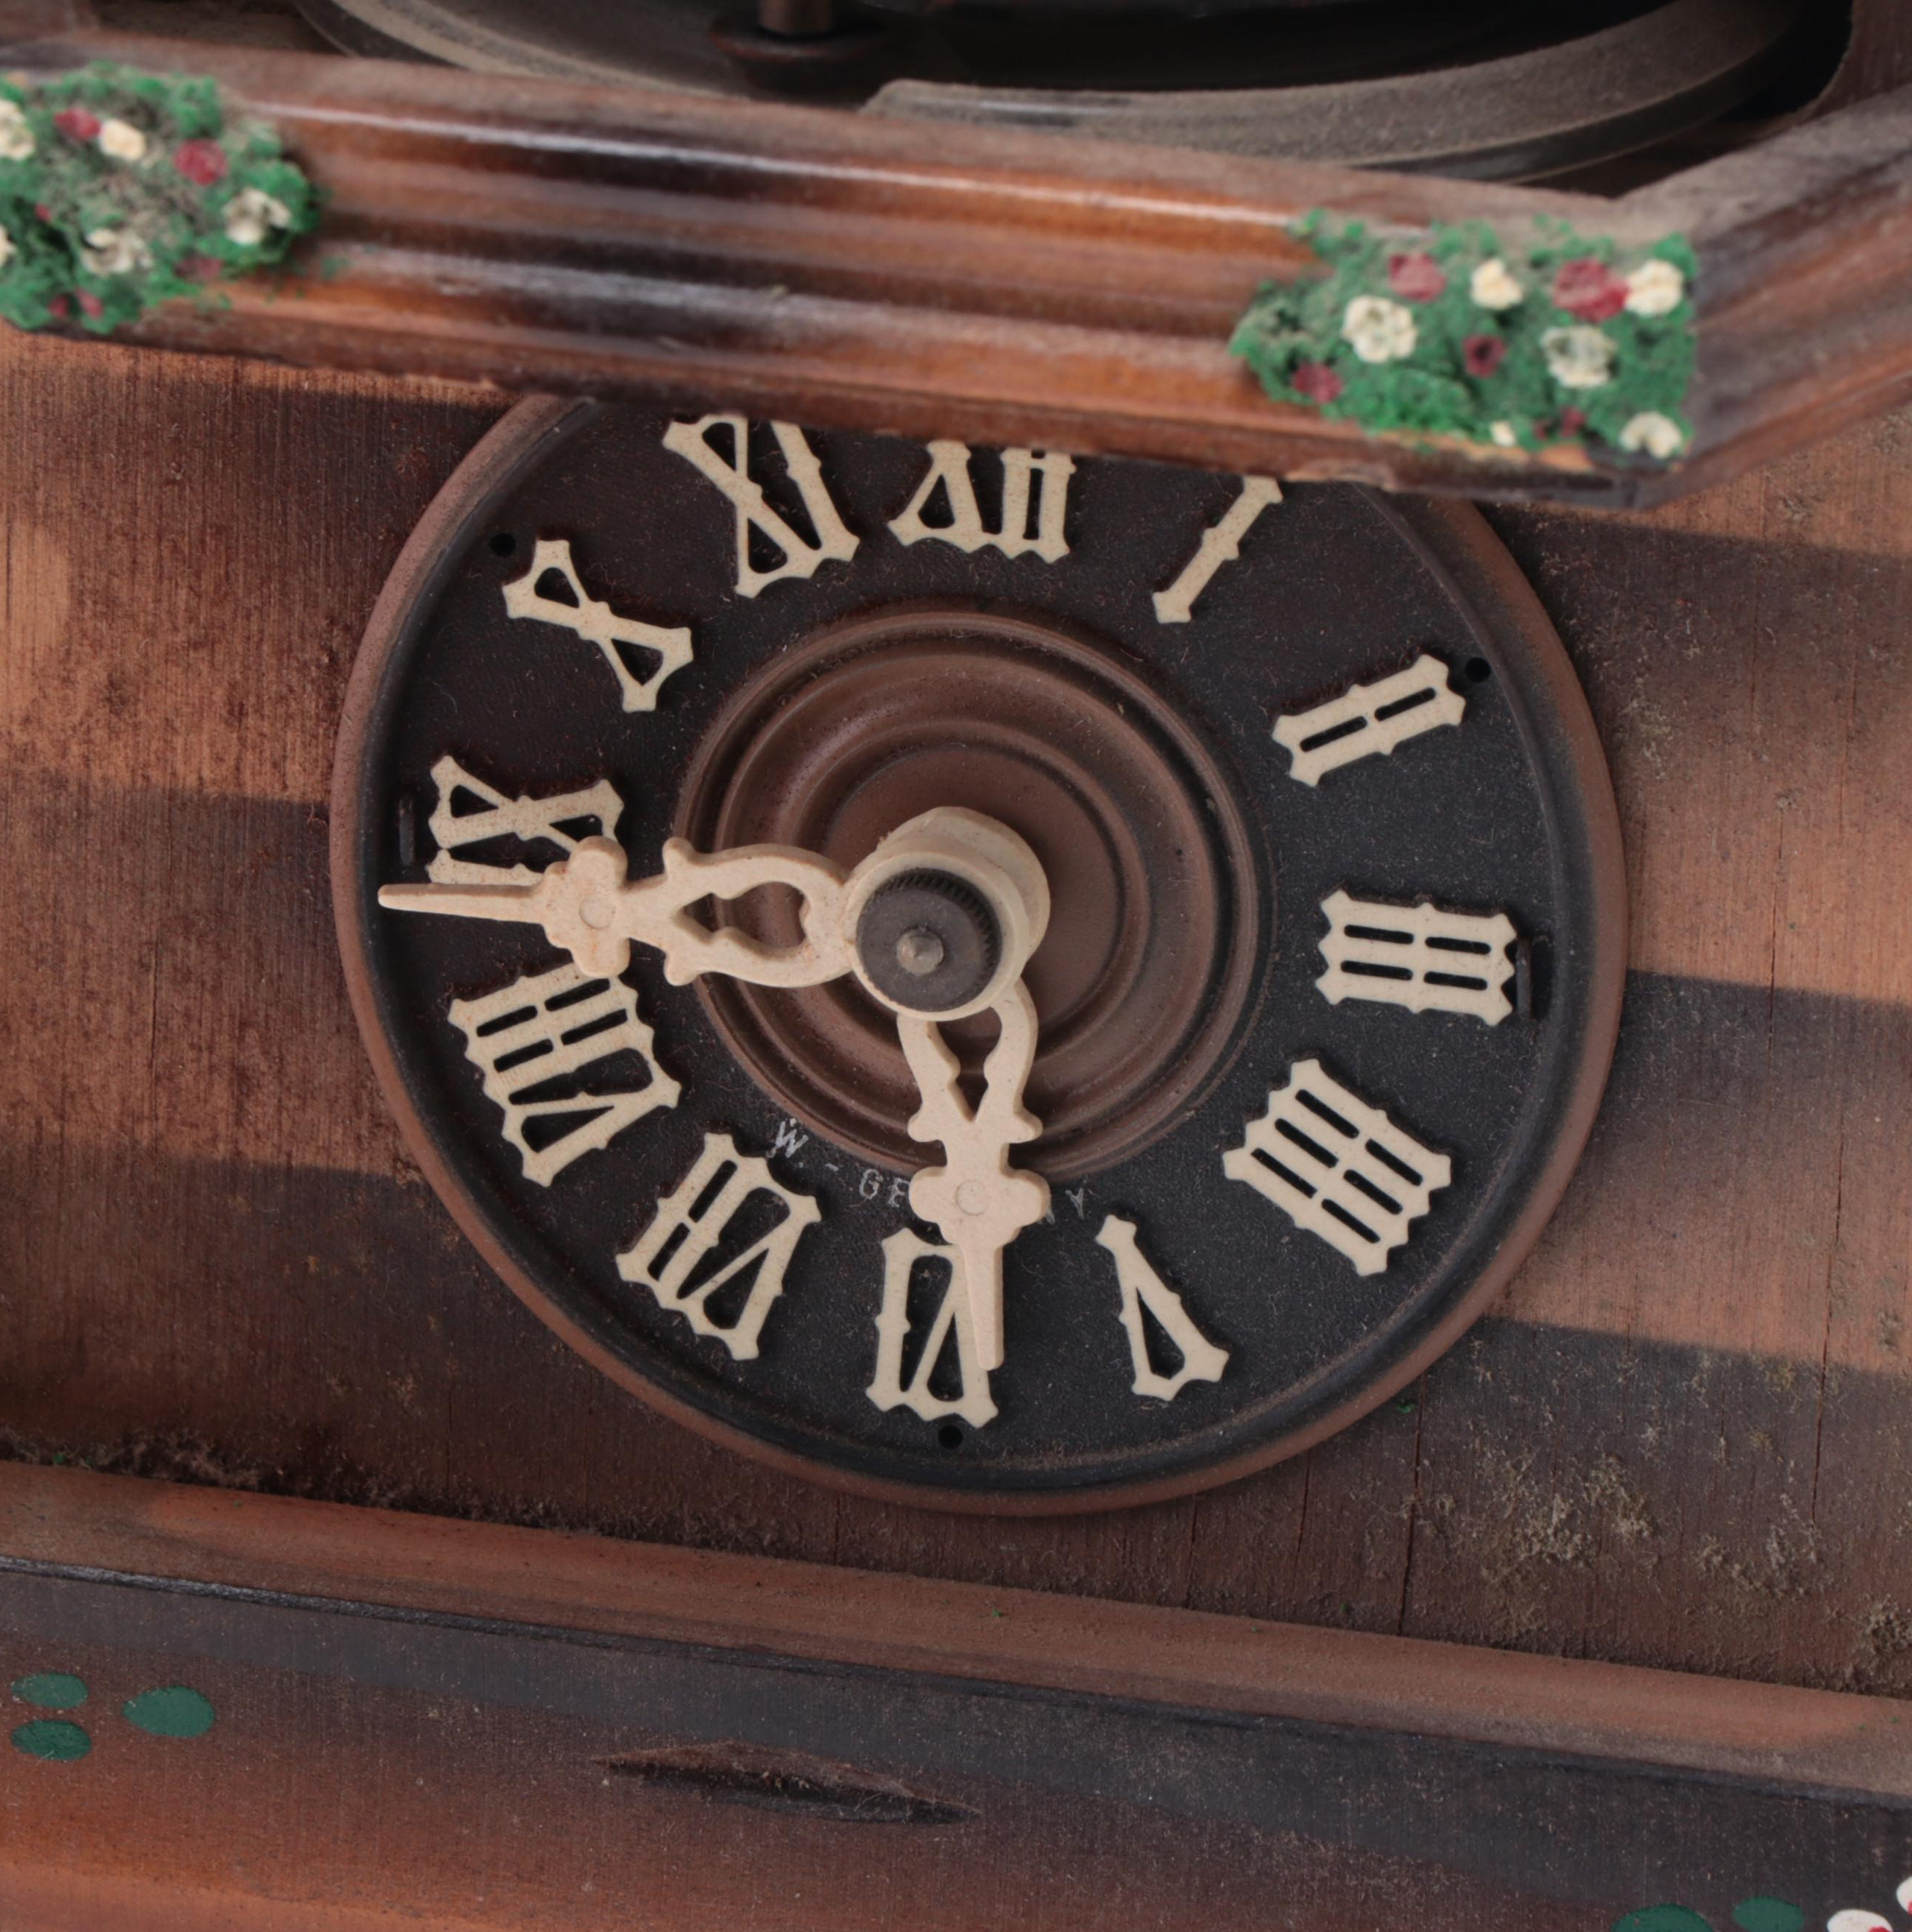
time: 5:43
